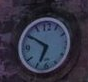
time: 6:50
